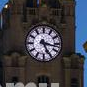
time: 5:17
